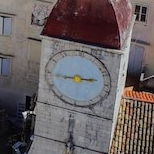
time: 2:44
